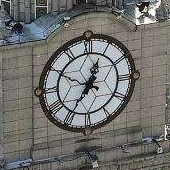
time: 12:34
